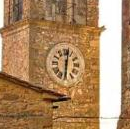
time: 6:01
